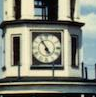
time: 4:54
